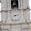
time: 8:12
